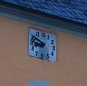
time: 8:50
